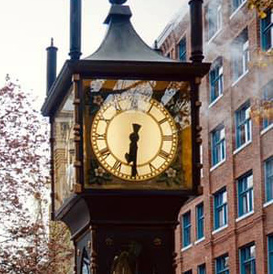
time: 6:30
